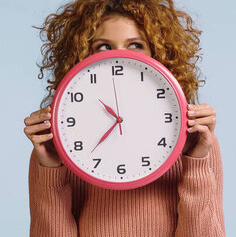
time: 10:37
